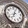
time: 7:04
